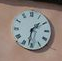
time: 1:32
